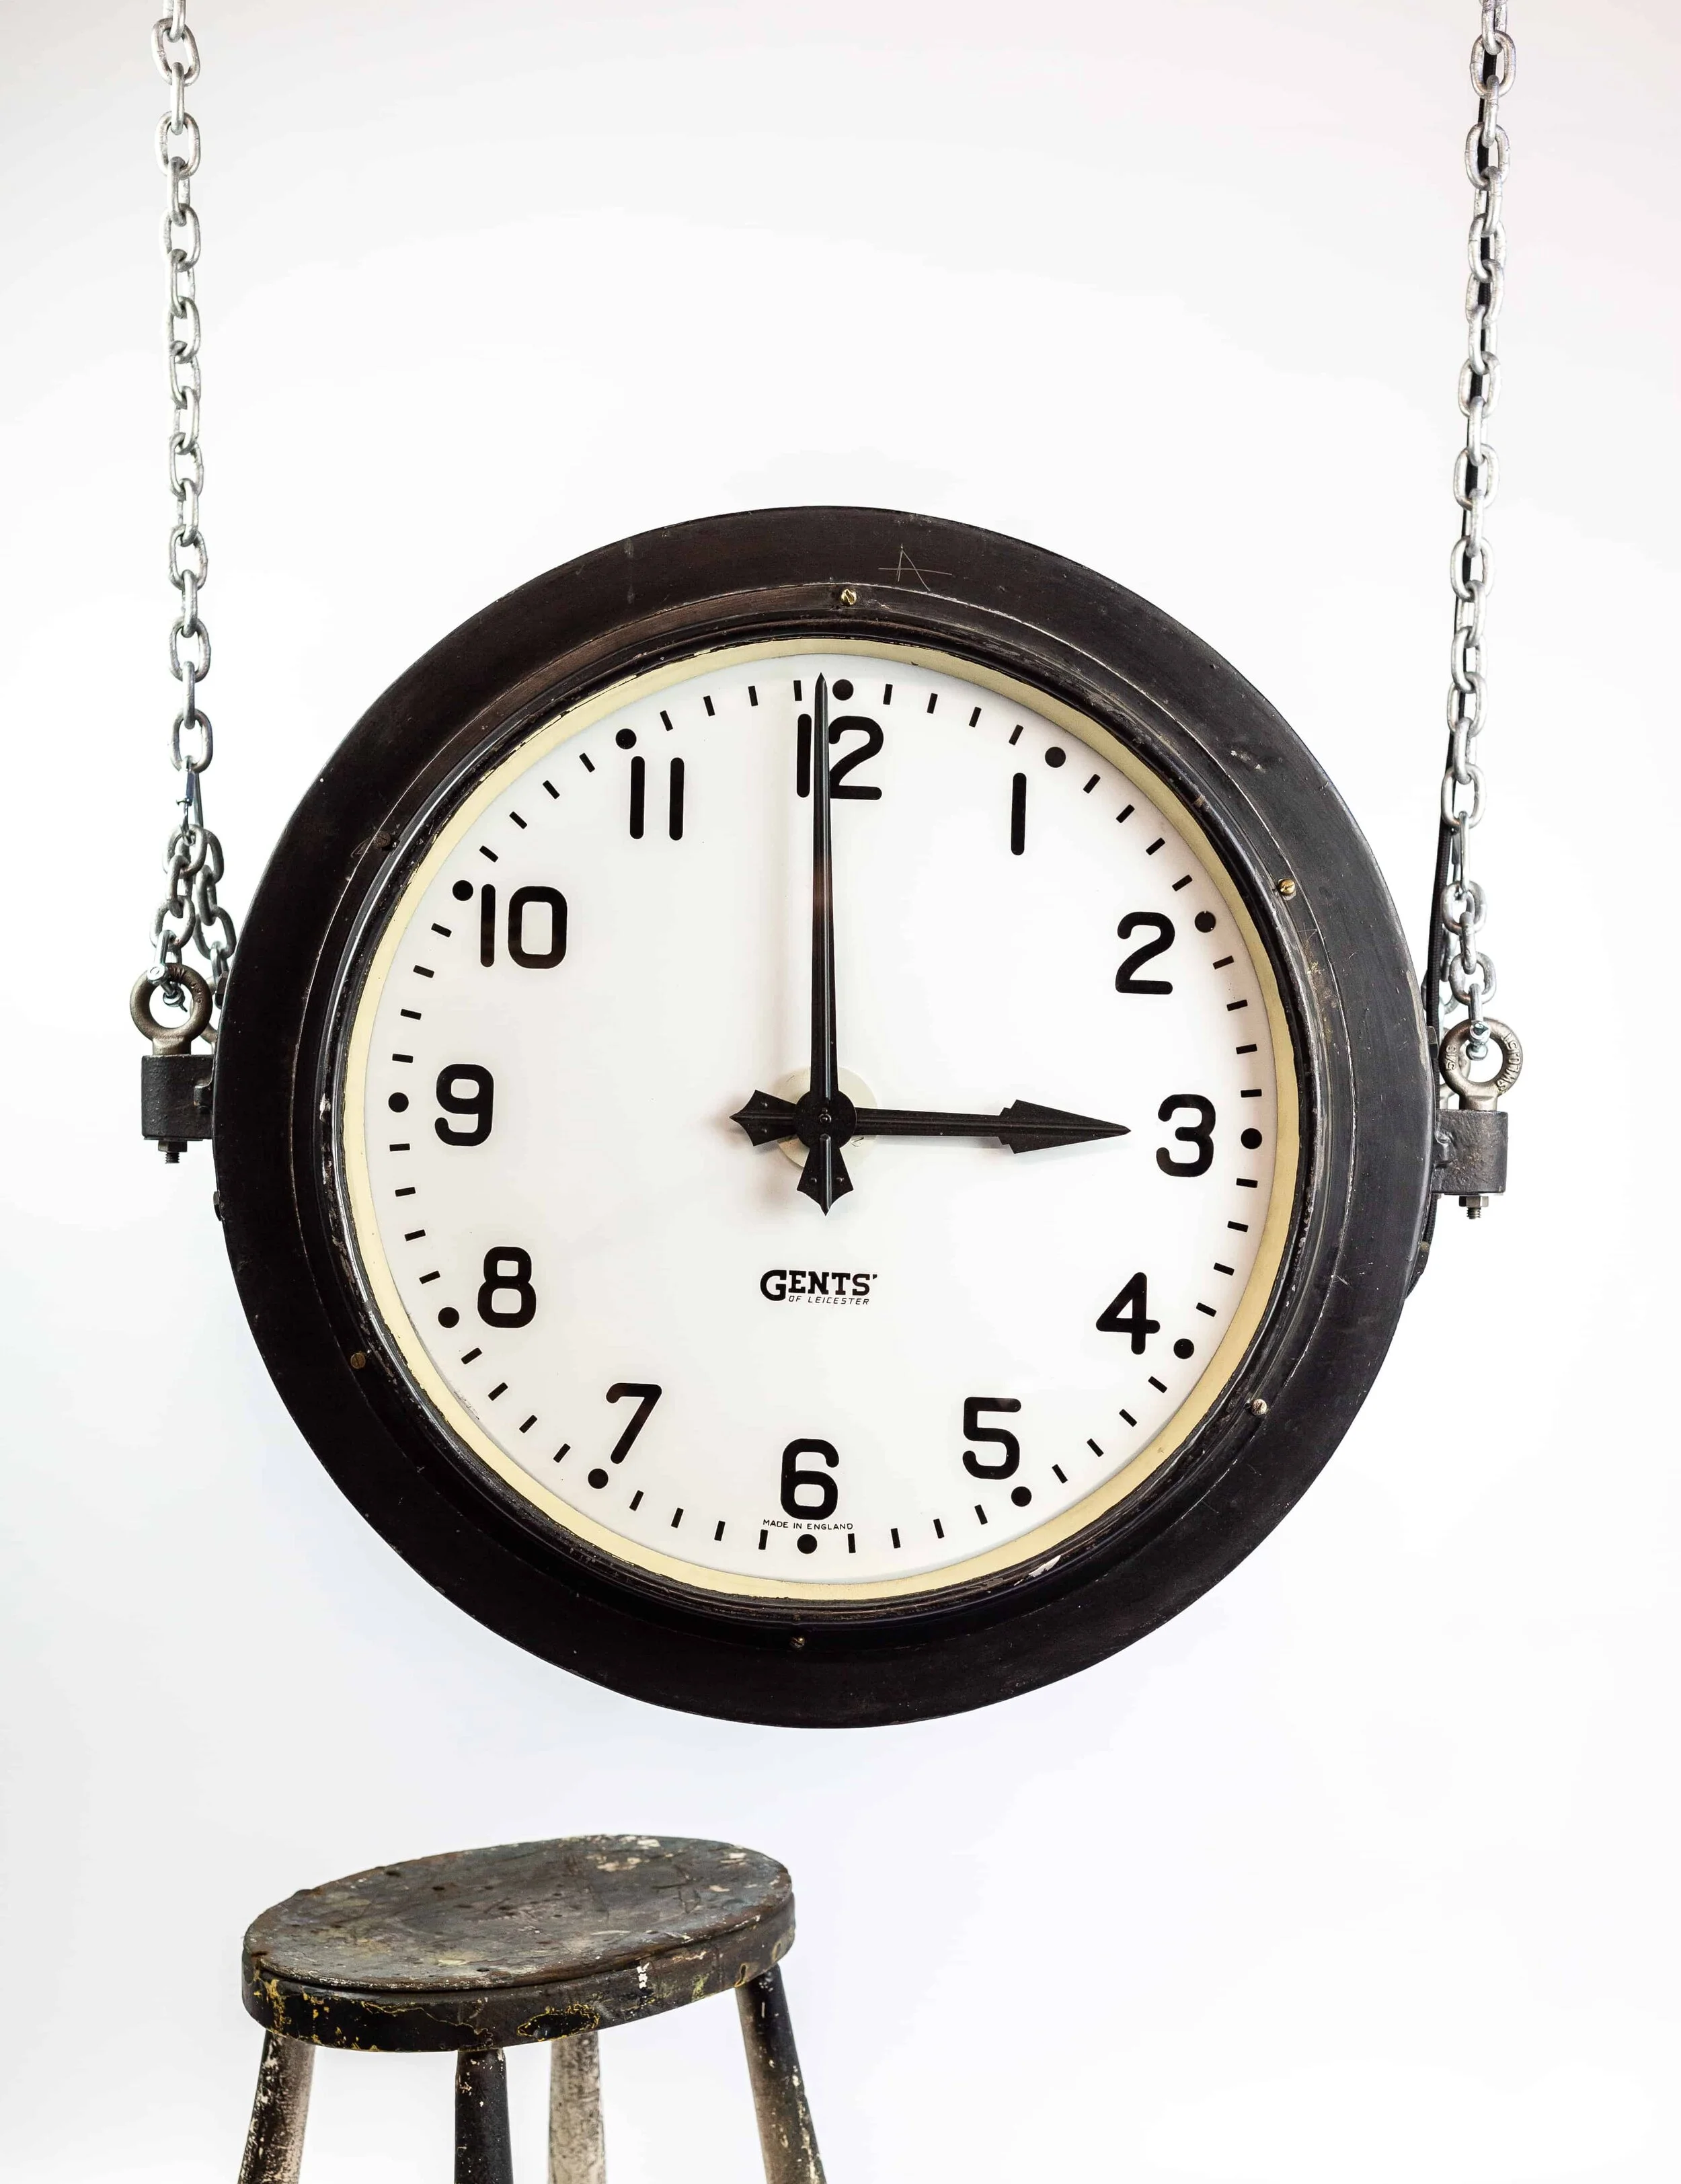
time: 2:59
